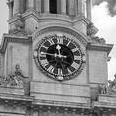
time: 11:46
